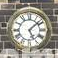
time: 5:08
